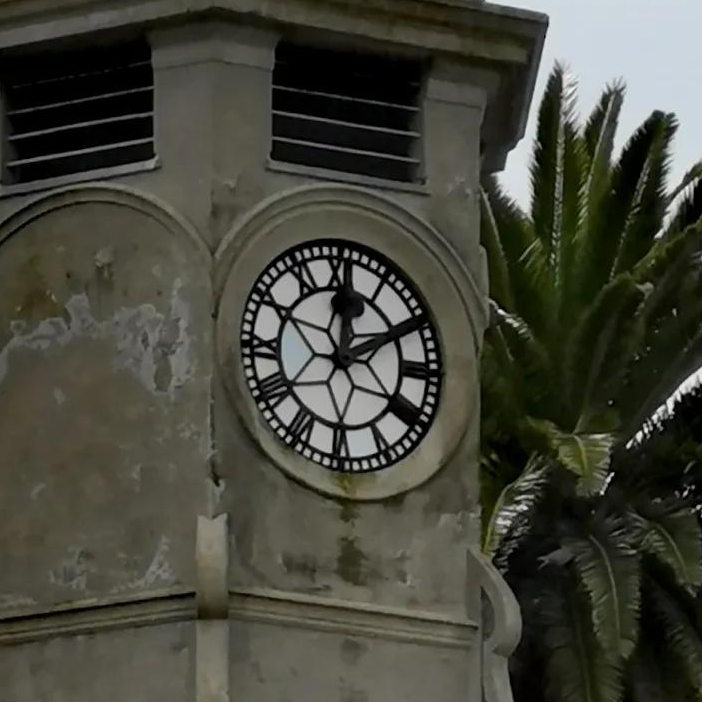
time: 12:10
